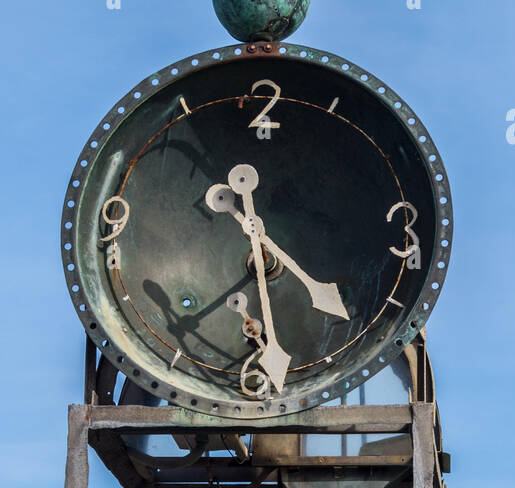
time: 4:28
